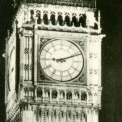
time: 9:11
